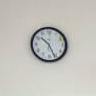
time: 10:26
